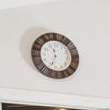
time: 11:33
